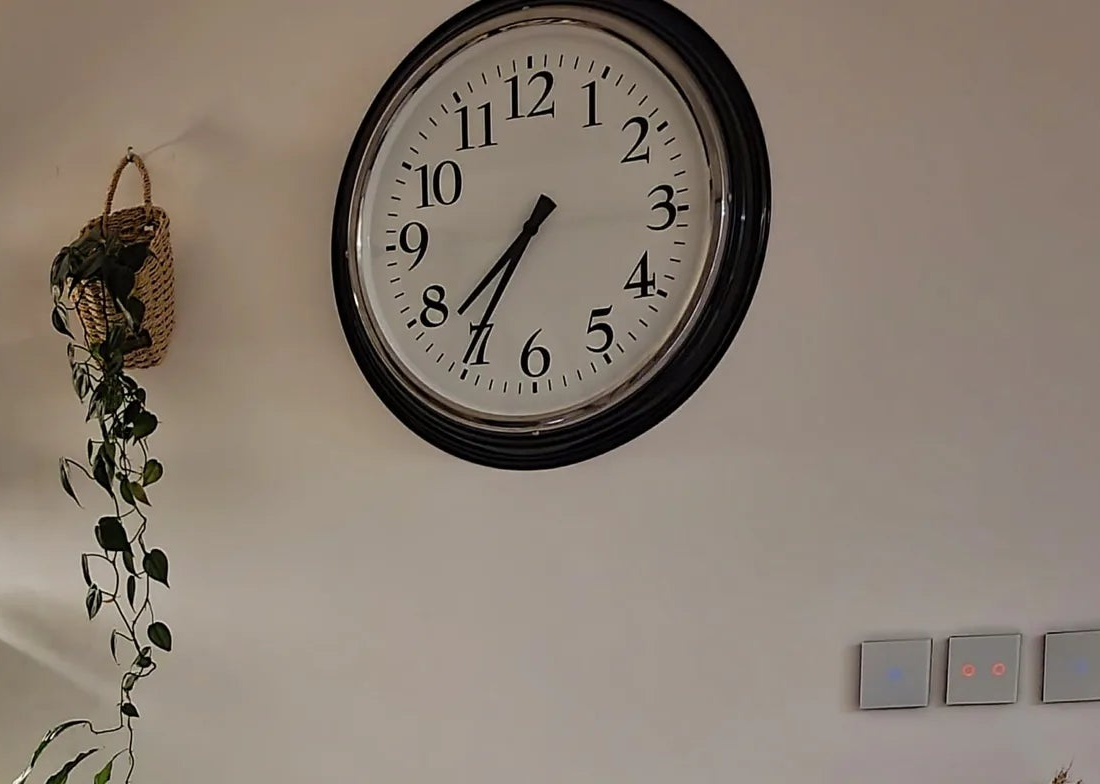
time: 7:35
